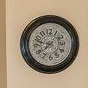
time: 7:48
